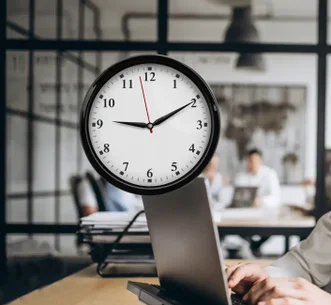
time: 9:10
